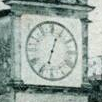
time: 12:32
